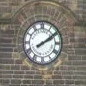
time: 2:09
